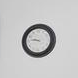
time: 9:45
